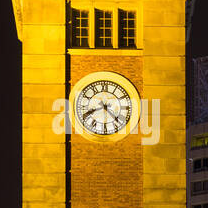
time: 8:22
